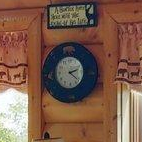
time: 2:21
